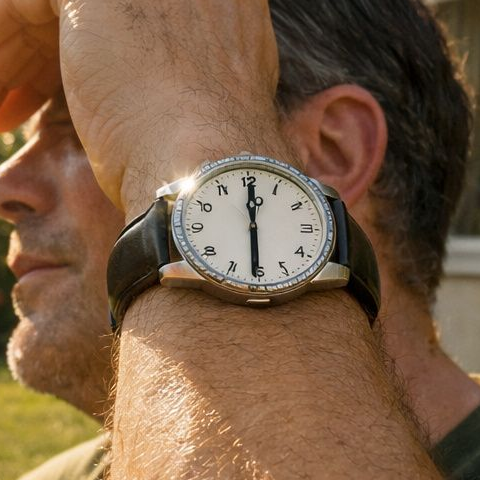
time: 6:00
